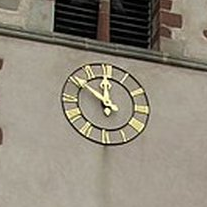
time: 11:51
